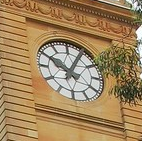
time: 10:04
